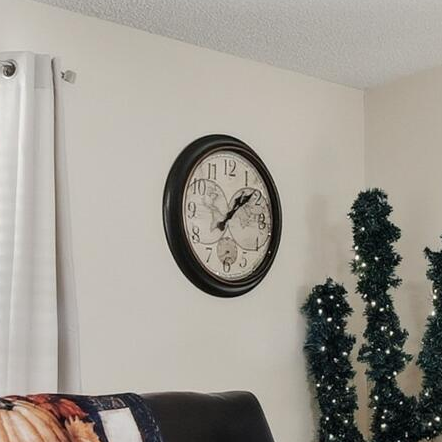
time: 1:08
